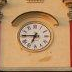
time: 6:45
